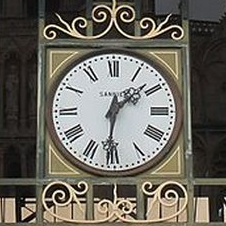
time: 1:31
